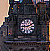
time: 9:11
